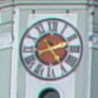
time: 2:24
